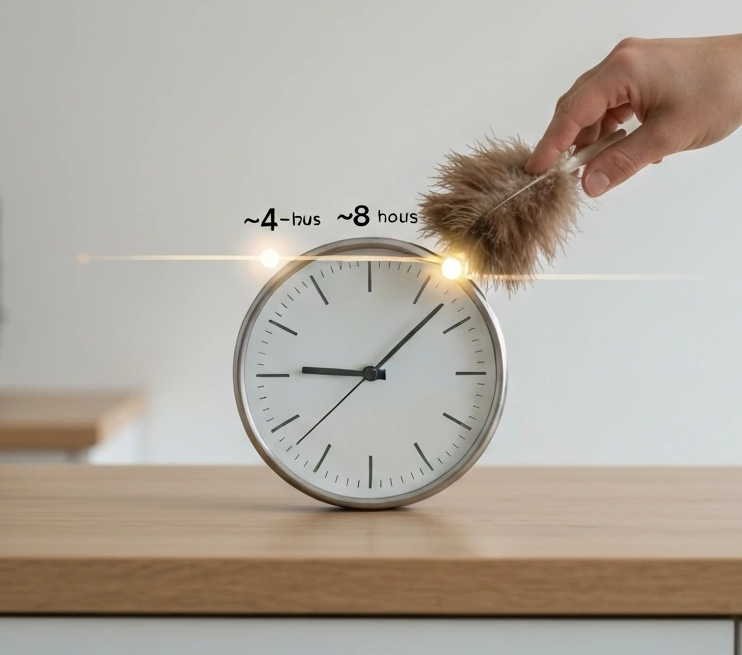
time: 9:07
